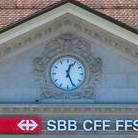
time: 12:25
